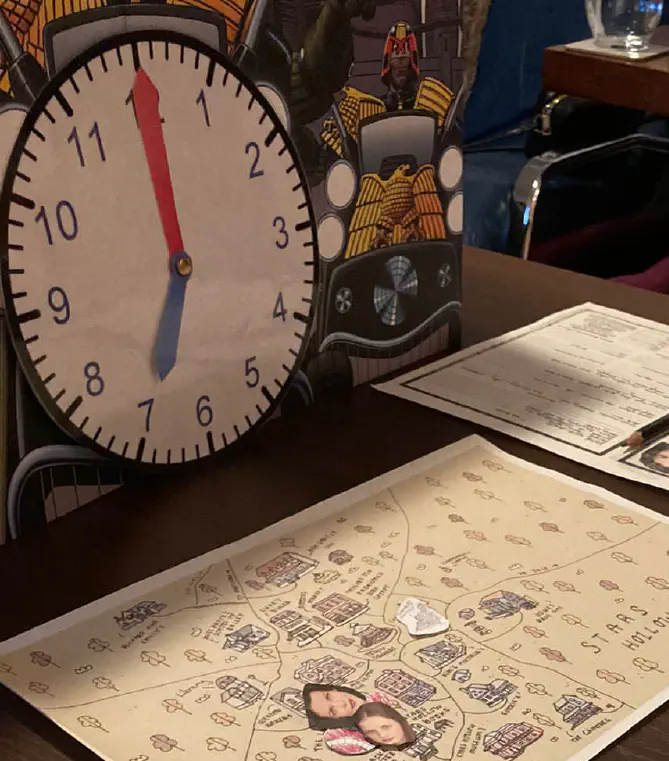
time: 7:00
